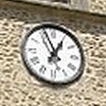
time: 12:56
